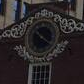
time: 10:20
